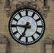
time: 6:45
